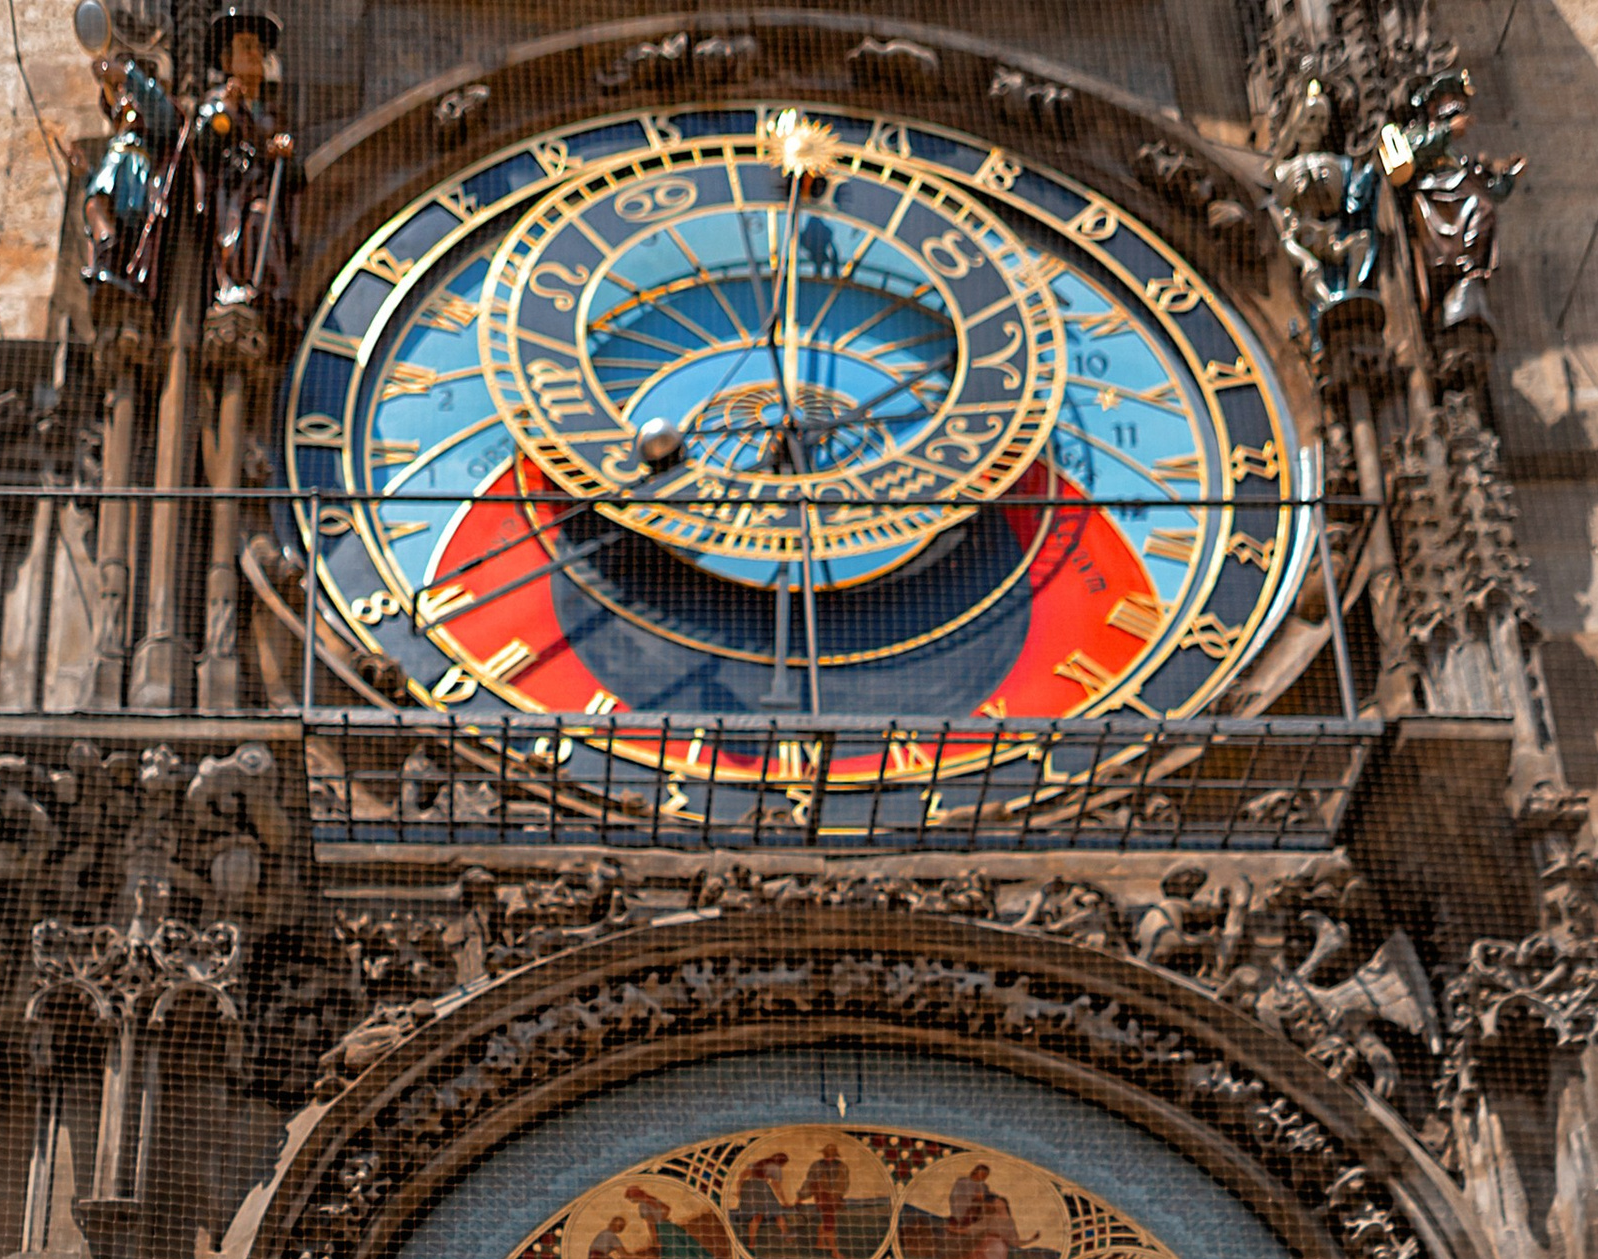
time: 7:59
